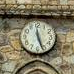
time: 5:26
